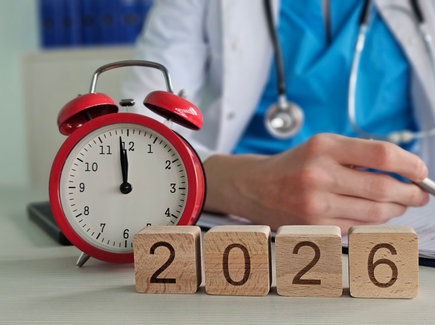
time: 11:58
